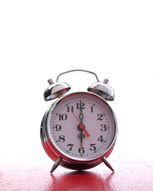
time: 6:00
